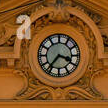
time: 3:36
